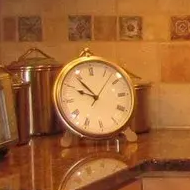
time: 9:53
